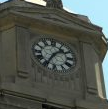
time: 1:35
